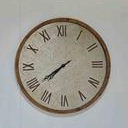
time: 7:39
